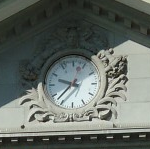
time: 9:36
